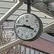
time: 3:45
